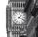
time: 1:18
